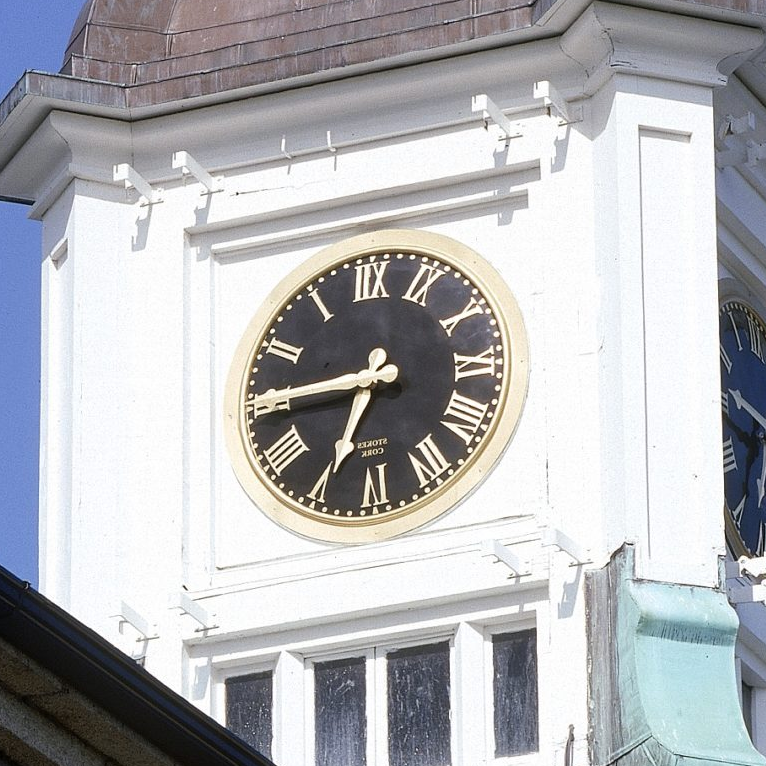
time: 6:45
